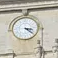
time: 3:21
